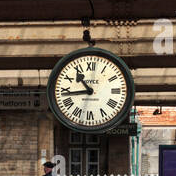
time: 10:43
